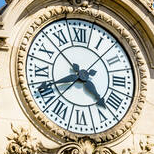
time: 4:40
